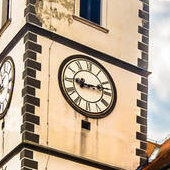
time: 9:13
